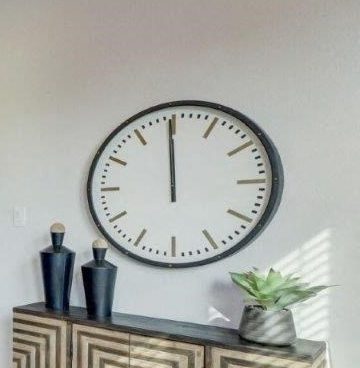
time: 11:59
